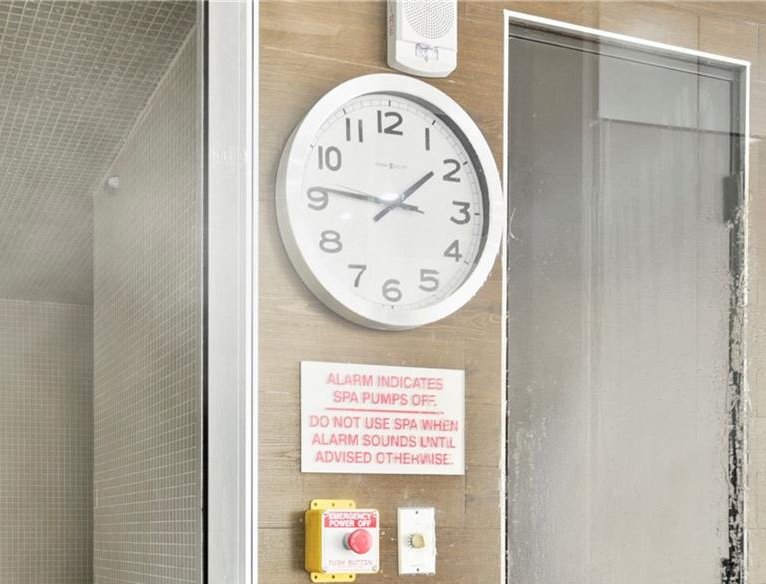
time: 1:46
